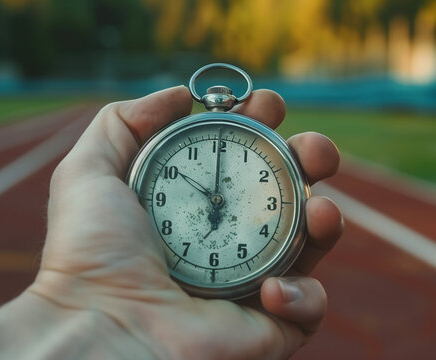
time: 10:00
